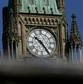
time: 10:24
